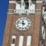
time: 11:47
